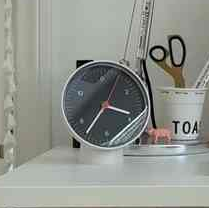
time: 3:35
